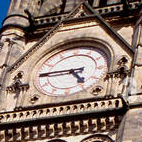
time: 4:44
